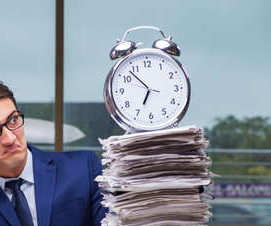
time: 6:53
